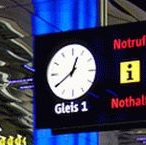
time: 12:39
